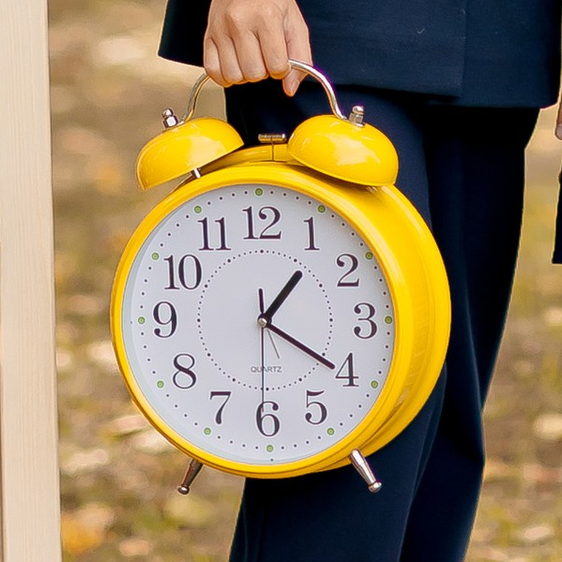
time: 1:20
